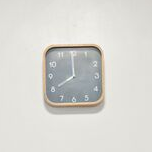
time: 7:59
